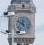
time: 11:51
